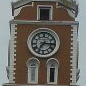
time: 7:15
